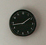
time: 1:43
